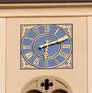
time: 6:11
